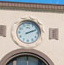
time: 2:11
